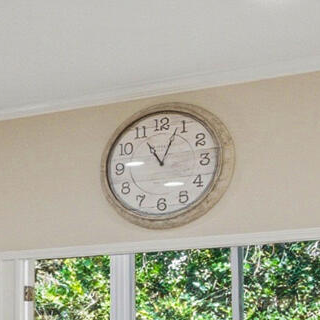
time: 11:03
